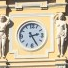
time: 2:25
